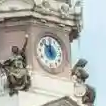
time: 11:52
